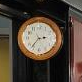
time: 2:36
